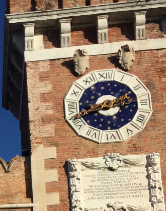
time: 2:40
